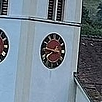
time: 7:46
